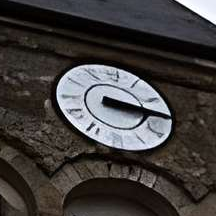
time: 3:14
